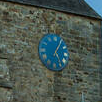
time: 5:05
